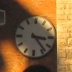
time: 3:23
